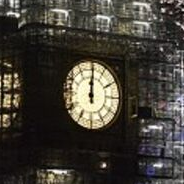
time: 12:00
